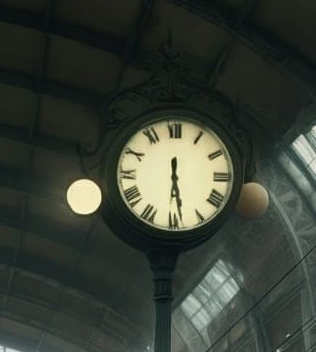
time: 6:28
